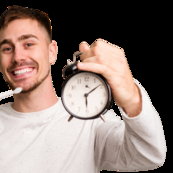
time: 6:09
